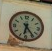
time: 6:23
